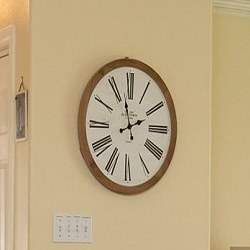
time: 1:57
